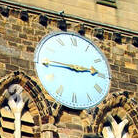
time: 2:45
